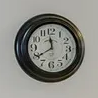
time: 11:39
